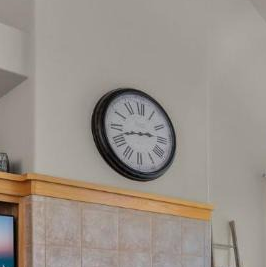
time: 2:42
